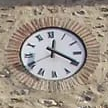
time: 12:19
